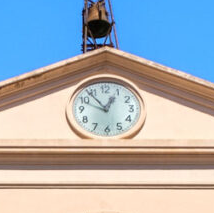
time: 12:53
